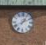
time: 1:10
